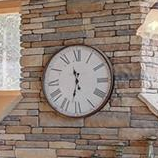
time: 11:32
